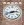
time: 2:42
